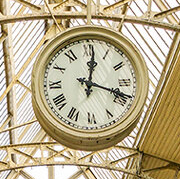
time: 12:18
